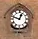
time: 12:47
